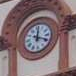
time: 12:18
